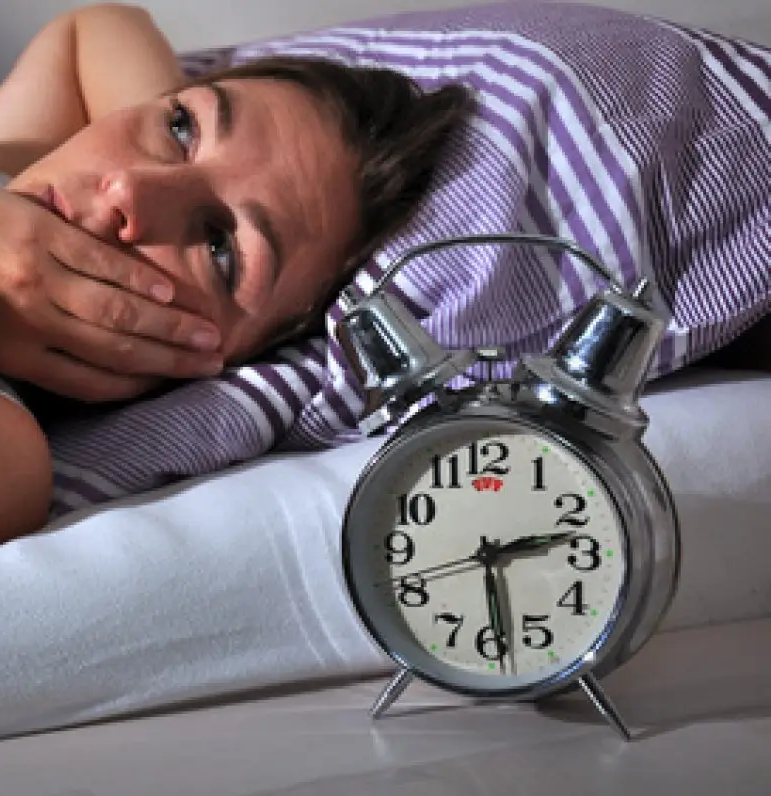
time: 2:28
